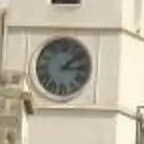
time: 3:08
